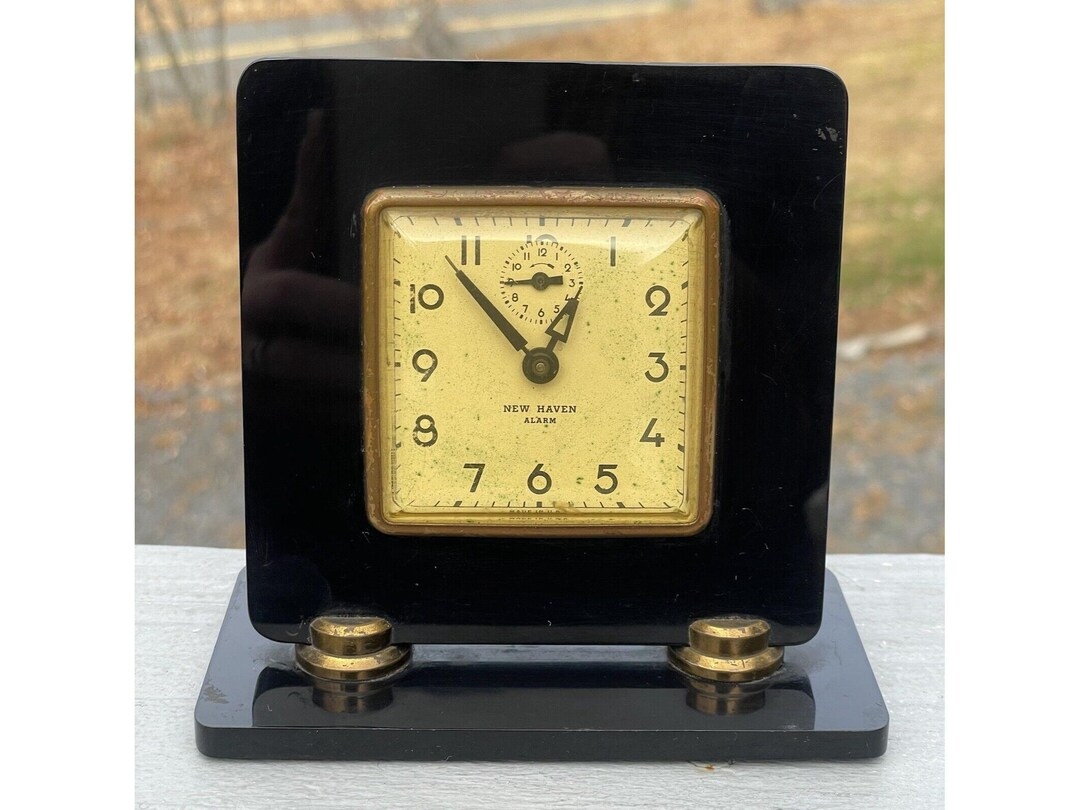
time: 12:52
